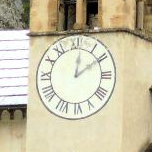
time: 12:09
